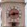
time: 2:42
